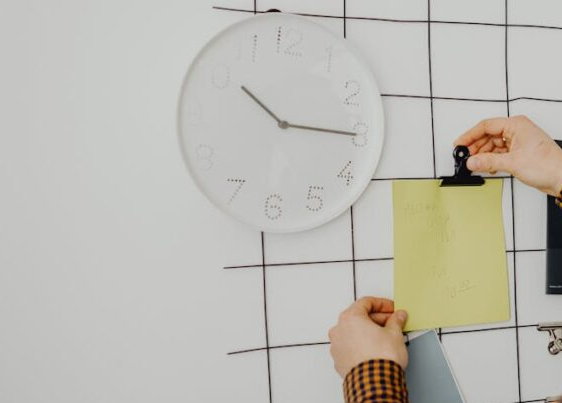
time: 10:15
